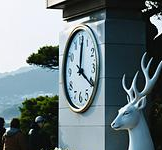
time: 12:20
